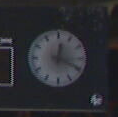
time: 12:19
